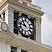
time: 10:47
